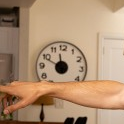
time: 11:49
